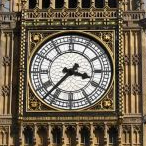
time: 3:37
